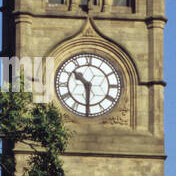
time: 10:30
